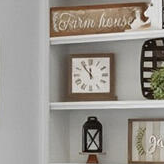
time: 11:53
